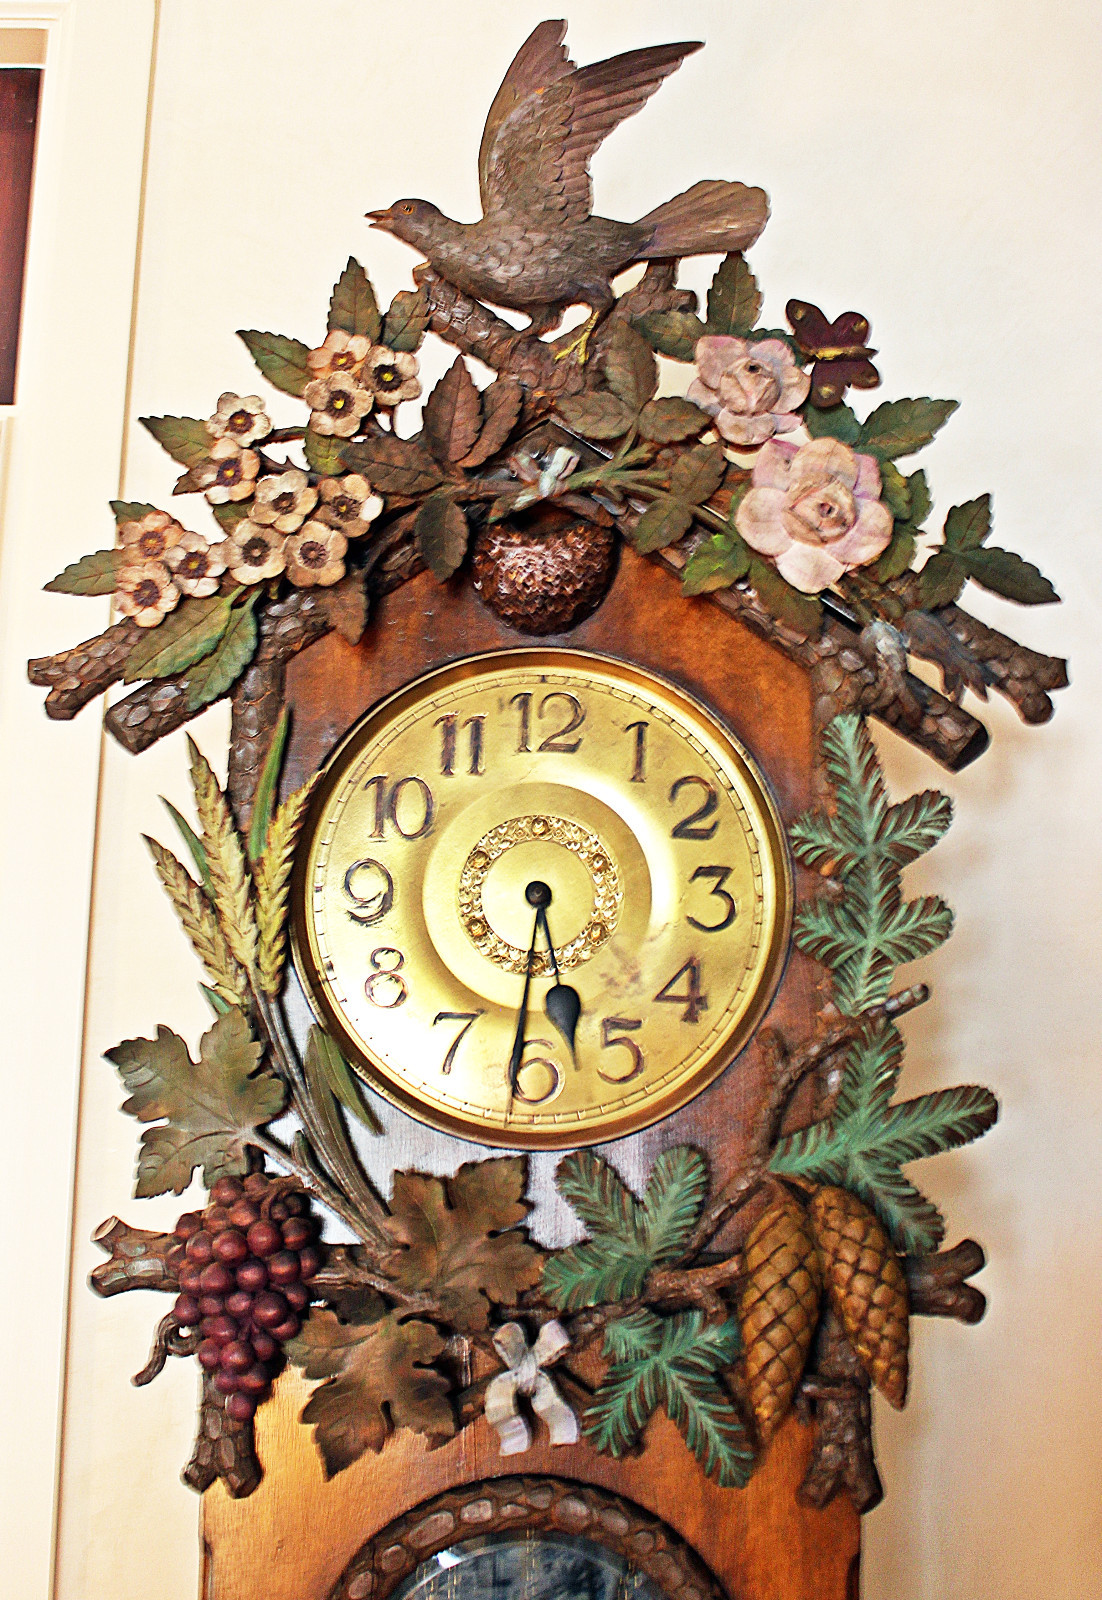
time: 5:31
